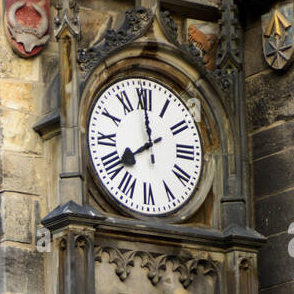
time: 7:59
